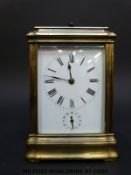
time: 11:46
